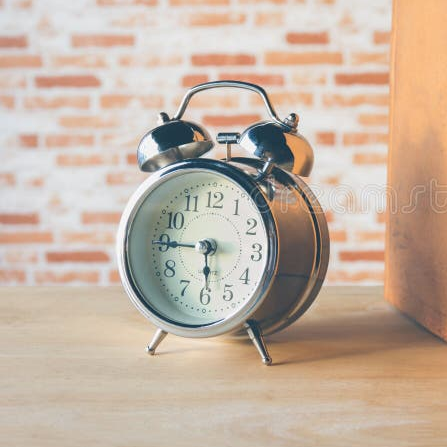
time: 5:45
